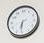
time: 6:30
